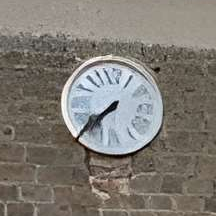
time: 7:37
